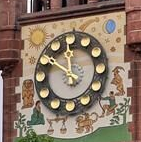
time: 11:50
